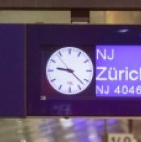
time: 9:22
